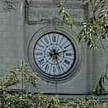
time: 2:26
